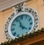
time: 11:21
